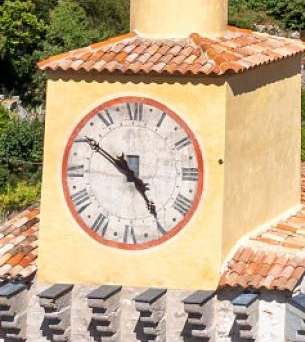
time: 4:50
